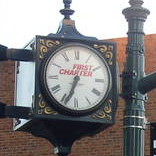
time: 6:33
